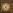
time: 5:06
